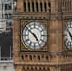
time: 4:51
